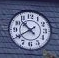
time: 10:39
